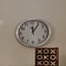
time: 12:05
